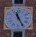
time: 11:25
